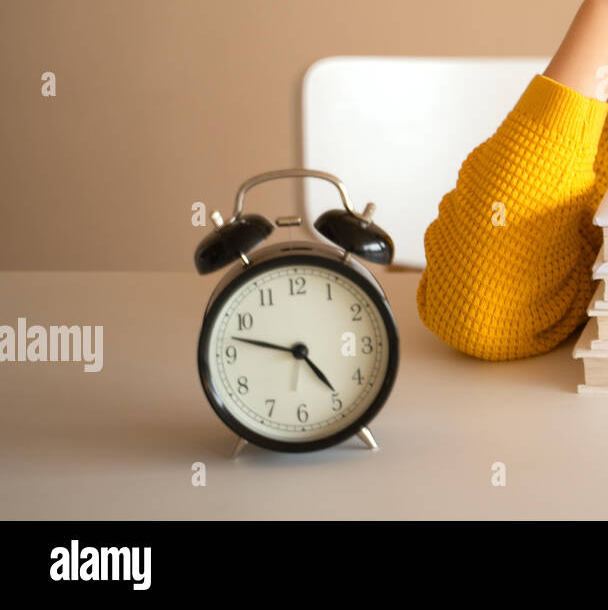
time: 4:47
